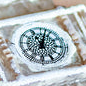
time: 11:02
